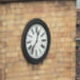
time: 12:36
